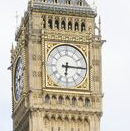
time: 6:15
